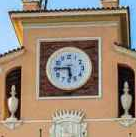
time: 5:44
